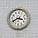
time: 3:40
